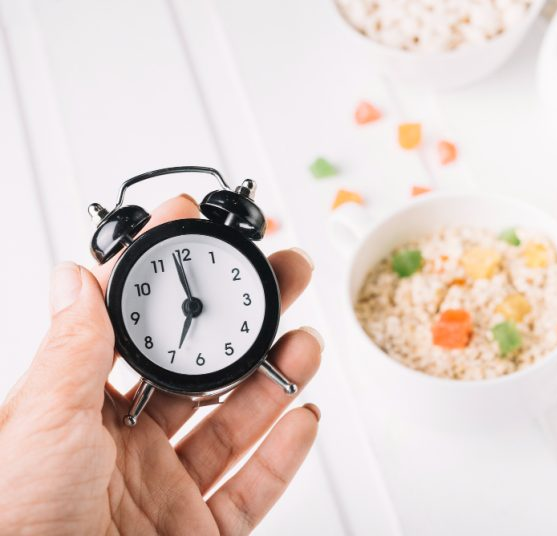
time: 6:58
